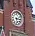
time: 6:15
